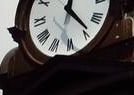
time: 12:23
